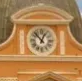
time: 12:52
